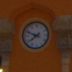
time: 7:48
